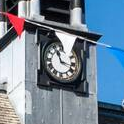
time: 11:17
